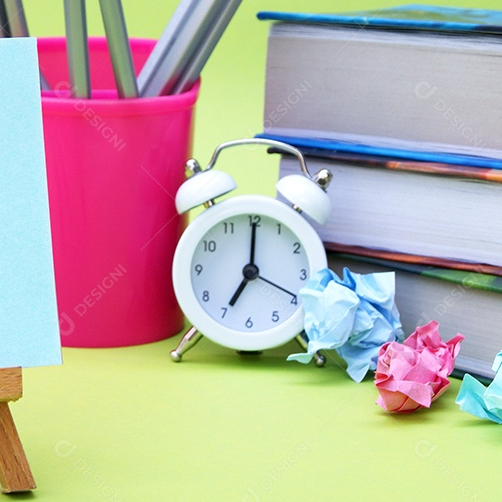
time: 7:00
